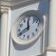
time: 11:40
